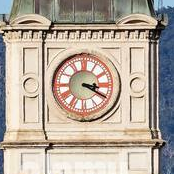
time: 3:19
